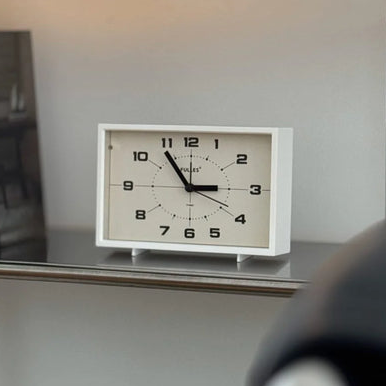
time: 2:54
